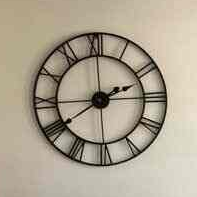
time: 2:00
